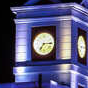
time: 7:15
